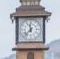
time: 11:37
